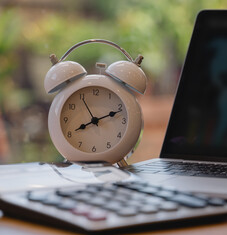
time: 8:11
